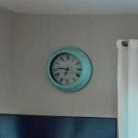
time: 6:46
